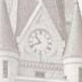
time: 10:41
